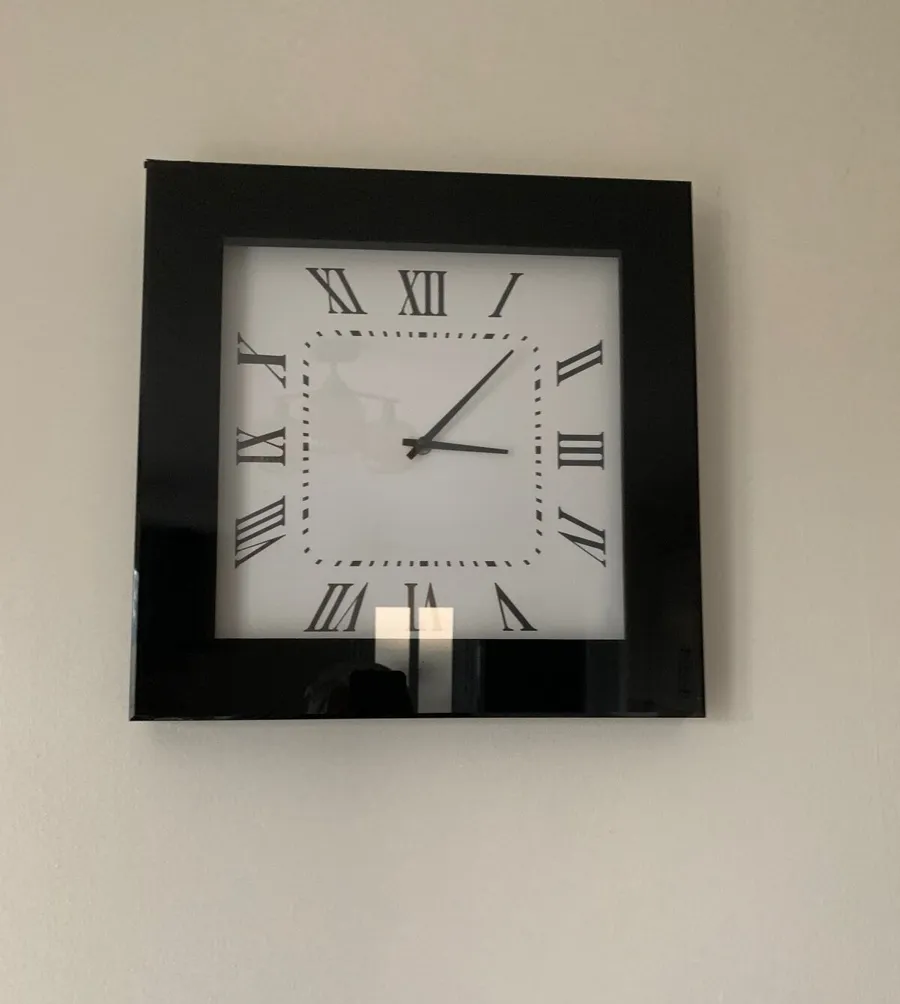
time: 3:07
